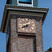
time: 8:12
